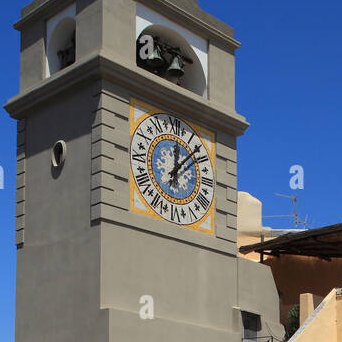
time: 12:07
